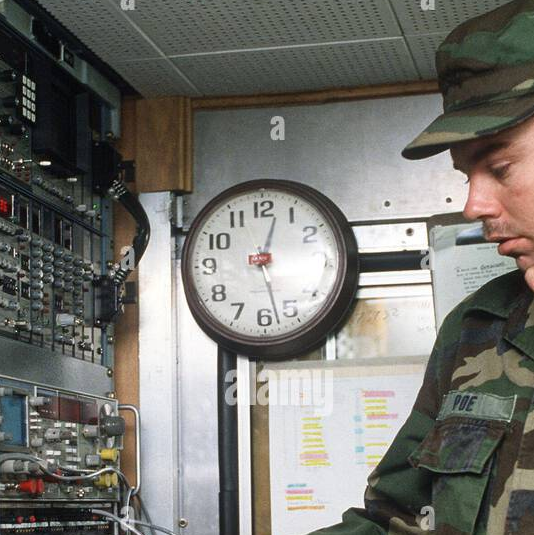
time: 12:27
